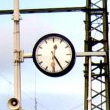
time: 12:24
